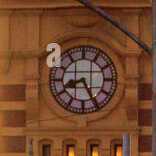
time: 8:25
